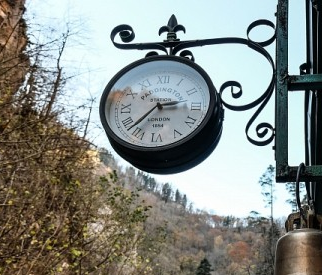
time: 2:37
